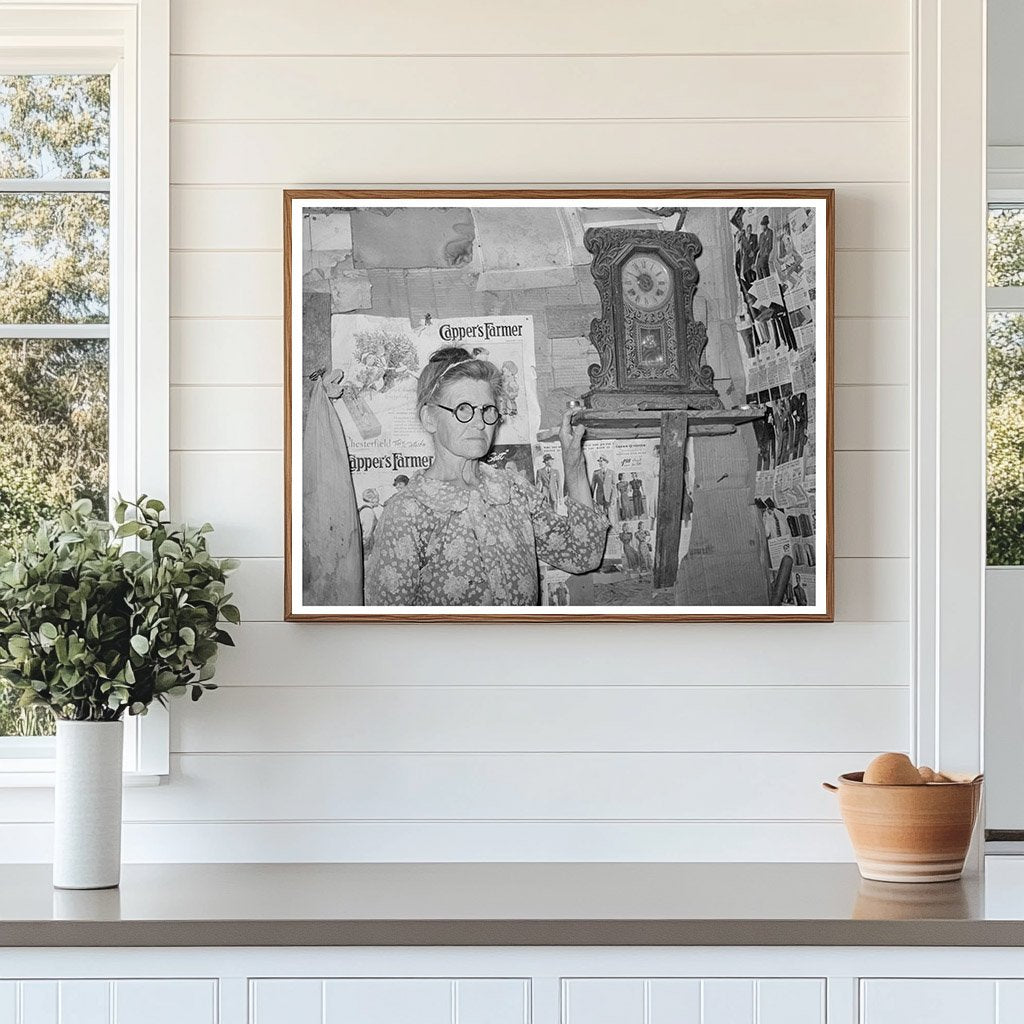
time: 12:14
